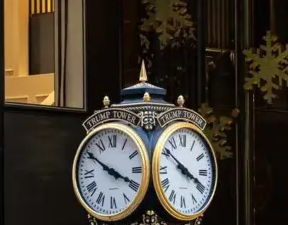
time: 3:50
